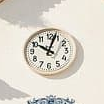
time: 10:02
